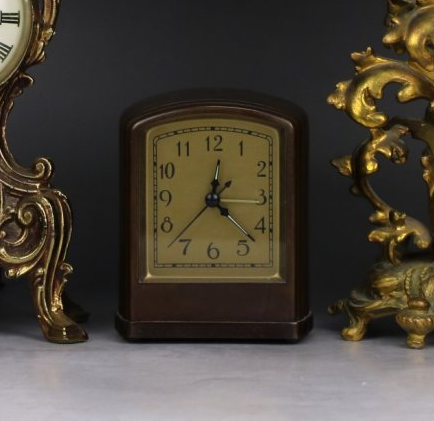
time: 12:22
